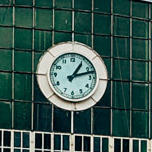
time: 1:12
